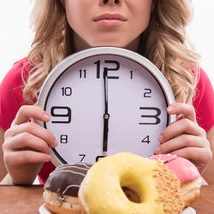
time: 5:59
